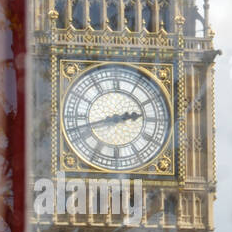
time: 2:42
